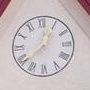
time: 12:38
